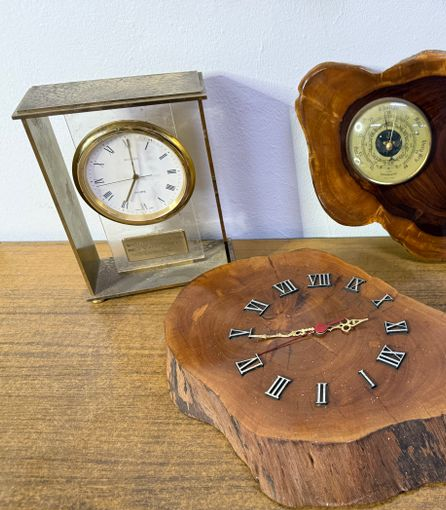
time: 7:00
